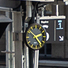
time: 2:23
